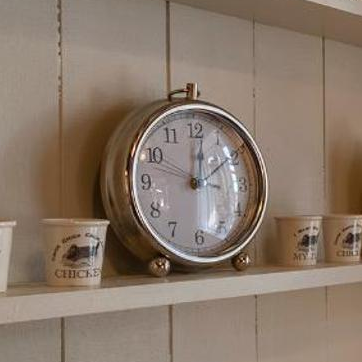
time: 12:09
